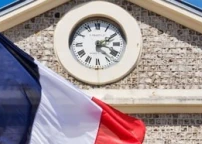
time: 4:09
